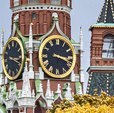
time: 3:18
